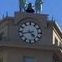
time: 4:42
